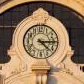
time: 4:14
